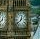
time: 12:38
